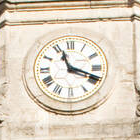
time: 11:18
